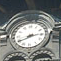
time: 2:40
